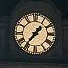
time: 1:36
